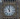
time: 11:00
